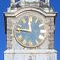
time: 11:46
